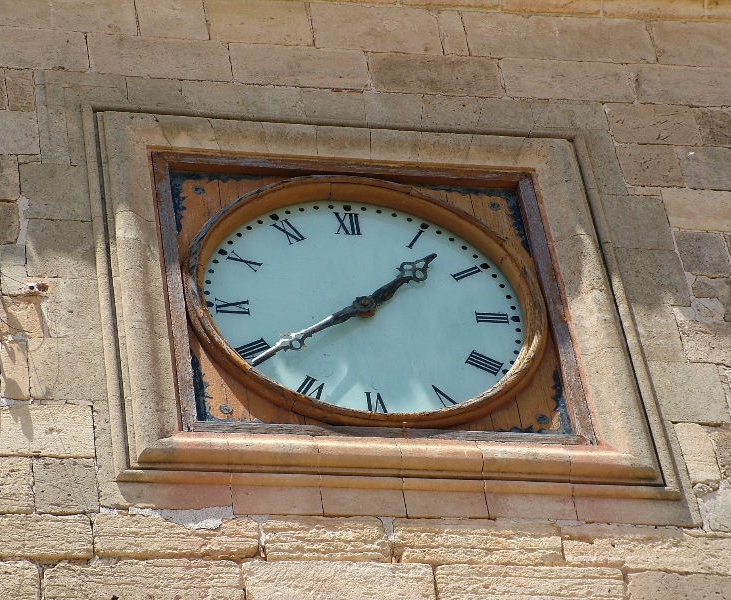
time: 1:39
